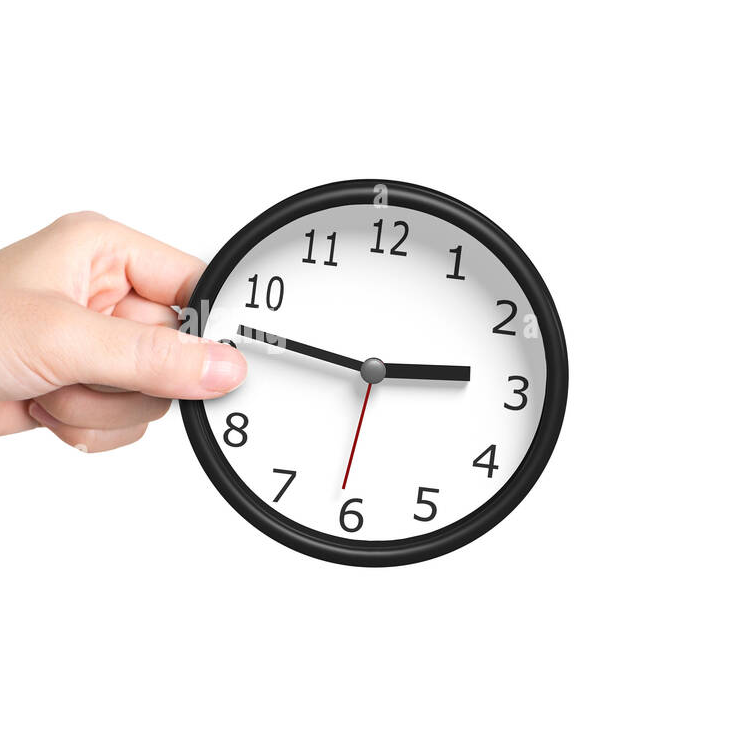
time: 2:46
